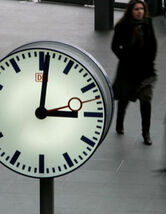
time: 3:01
